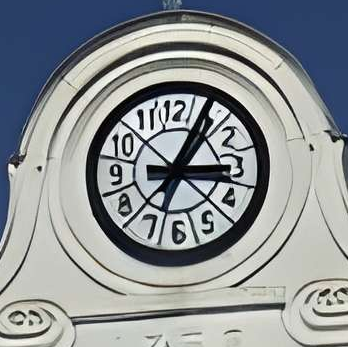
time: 3:04
